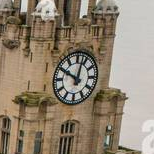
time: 10:02
